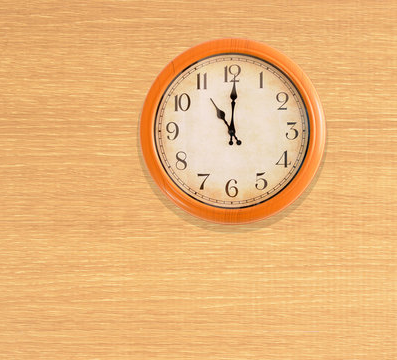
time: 11:00
